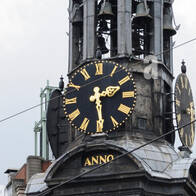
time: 2:29
